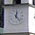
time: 12:23
